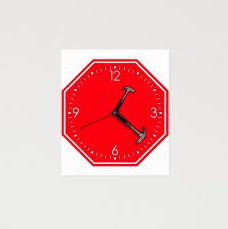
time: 1:21
